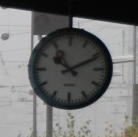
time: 10:11
